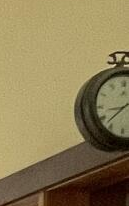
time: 8:37
